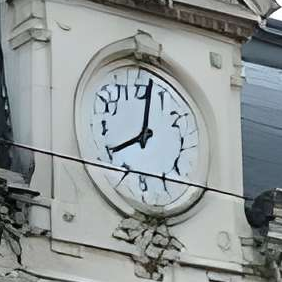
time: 8:01
